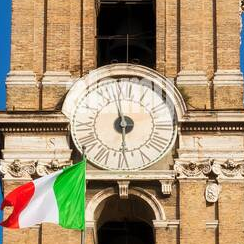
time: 5:59
